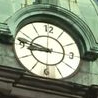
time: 8:46
